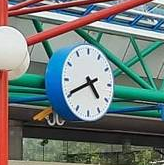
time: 4:40
